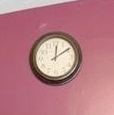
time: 12:09
